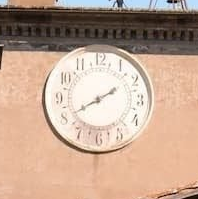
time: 1:40
